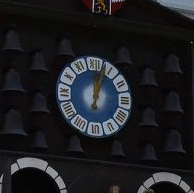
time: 12:03
